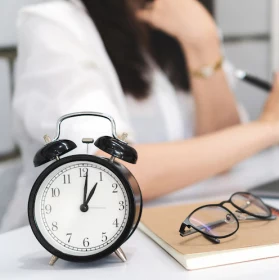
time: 1:01
